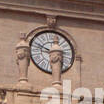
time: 2:48
